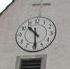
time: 10:29
